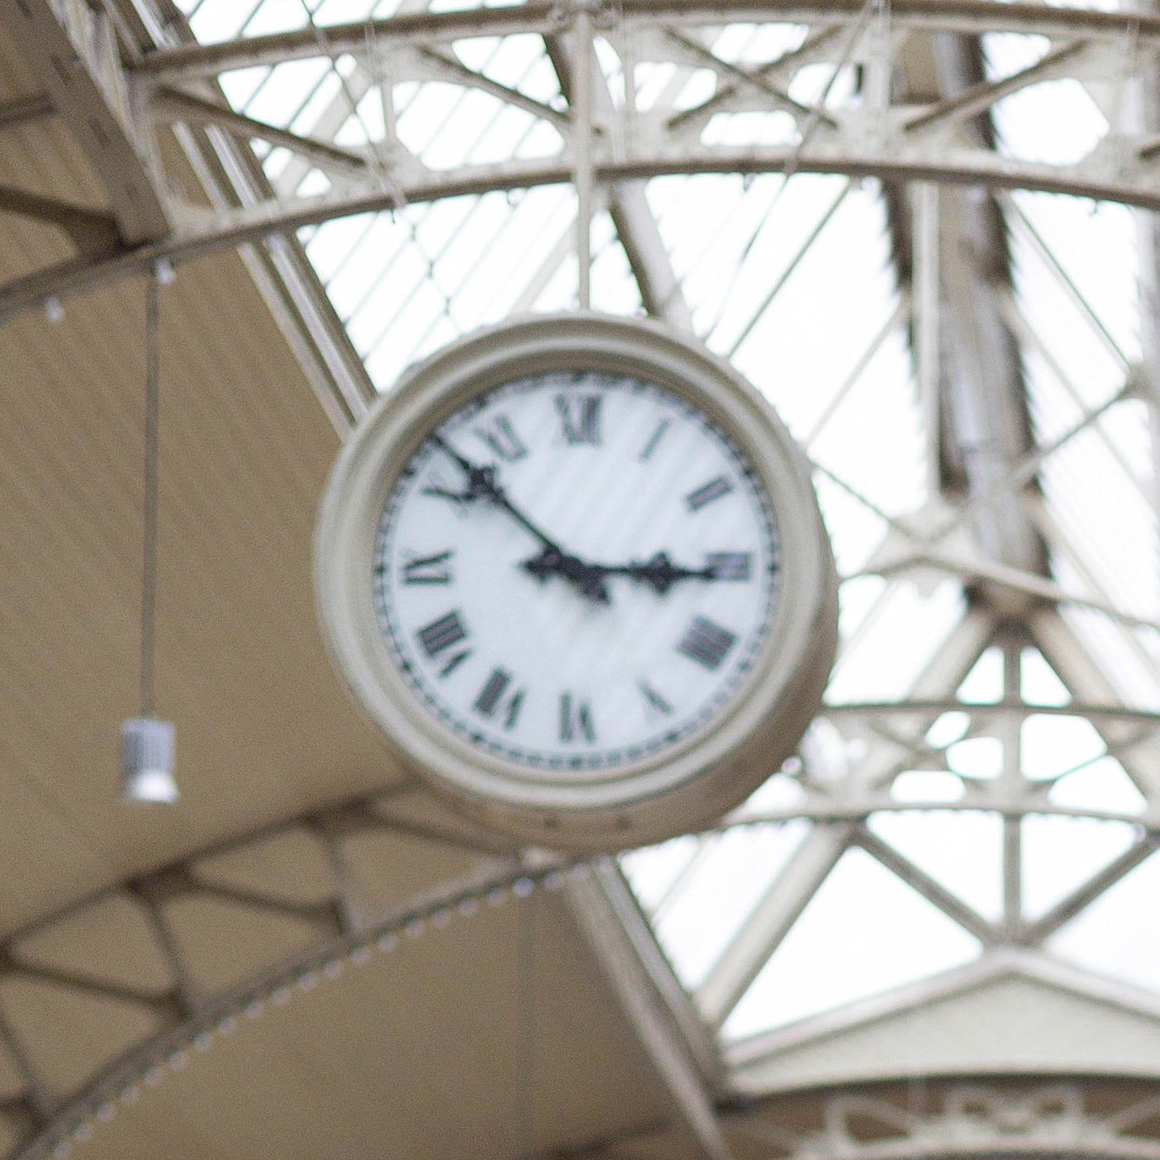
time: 2:52
